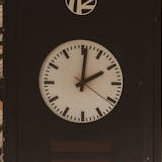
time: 2:01
